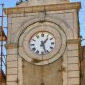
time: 1:26
